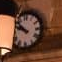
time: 9:51
